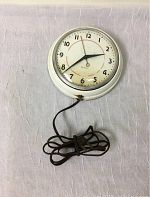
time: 2:38
